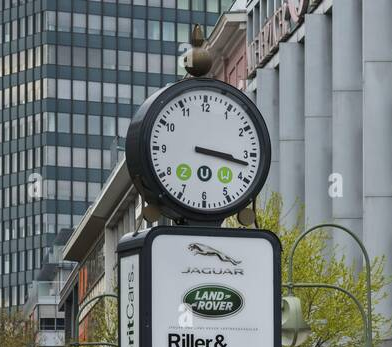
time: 3:17
